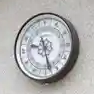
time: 9:27
